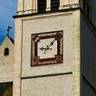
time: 9:07
